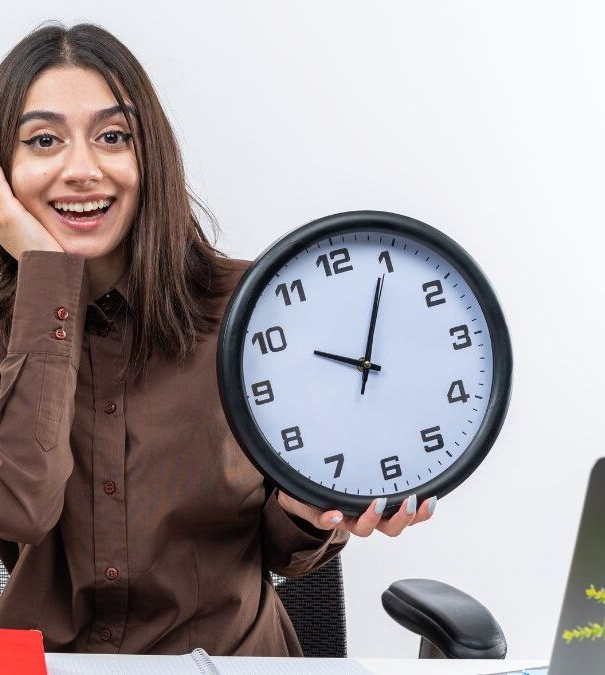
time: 10:04
